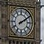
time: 2:09
